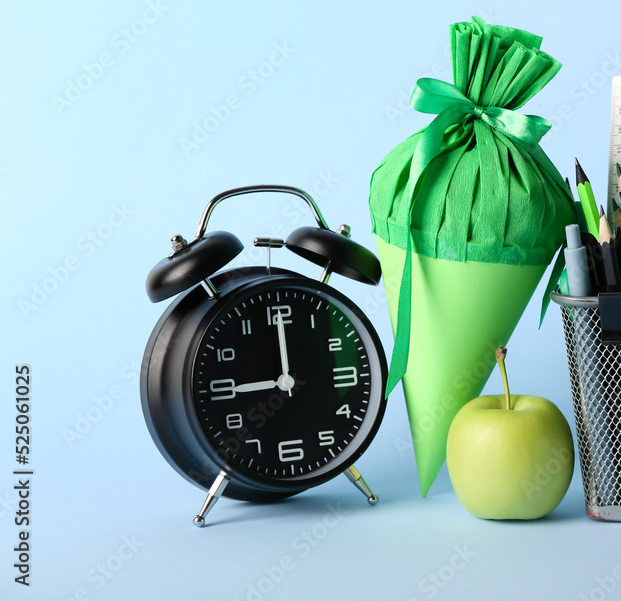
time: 9:00
